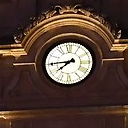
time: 7:44
